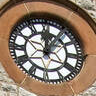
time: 12:05
